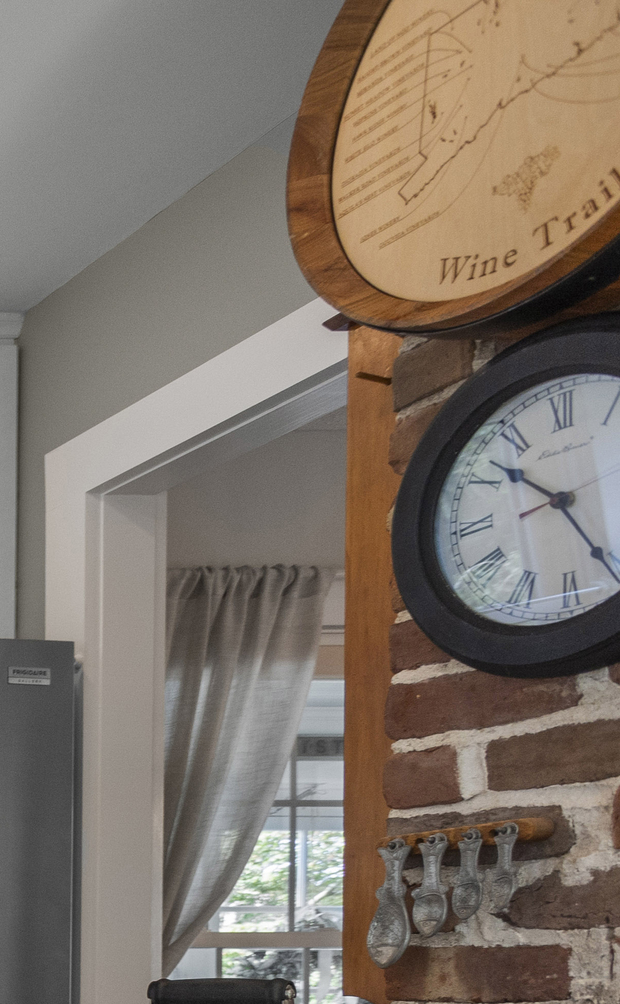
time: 10:24
